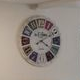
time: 2:21
